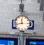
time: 11:42
